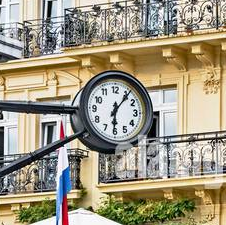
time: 6:06
